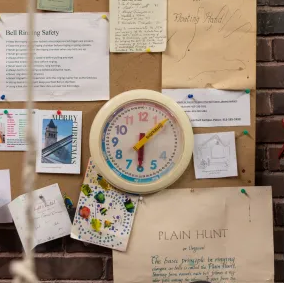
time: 6:08
